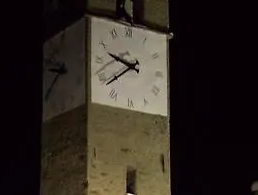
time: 9:38
